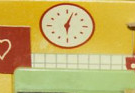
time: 6:03
